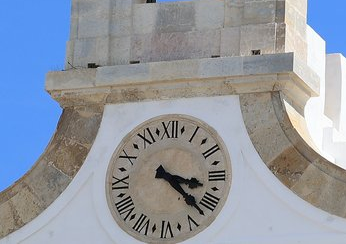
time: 3:22
